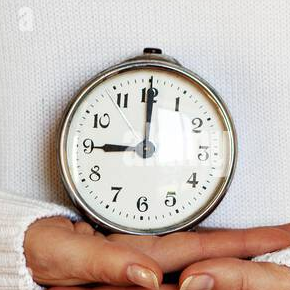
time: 9:00
